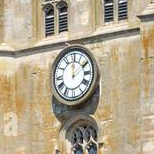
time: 12:09
